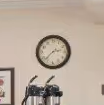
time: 2:37
